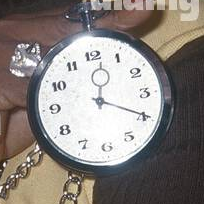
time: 12:19
